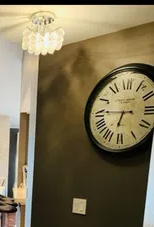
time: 6:45
